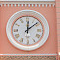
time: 12:08
